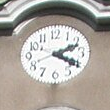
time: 4:10
